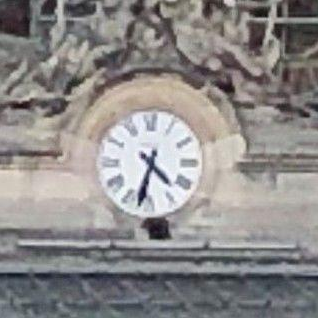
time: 4:32
